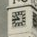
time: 8:53
